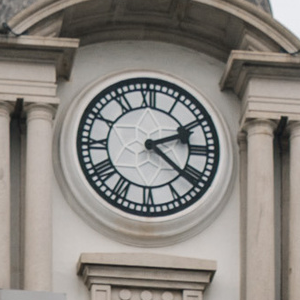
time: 2:21
